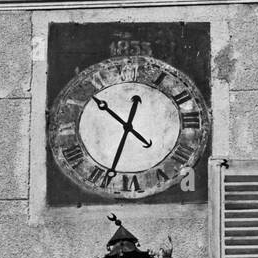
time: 10:33
